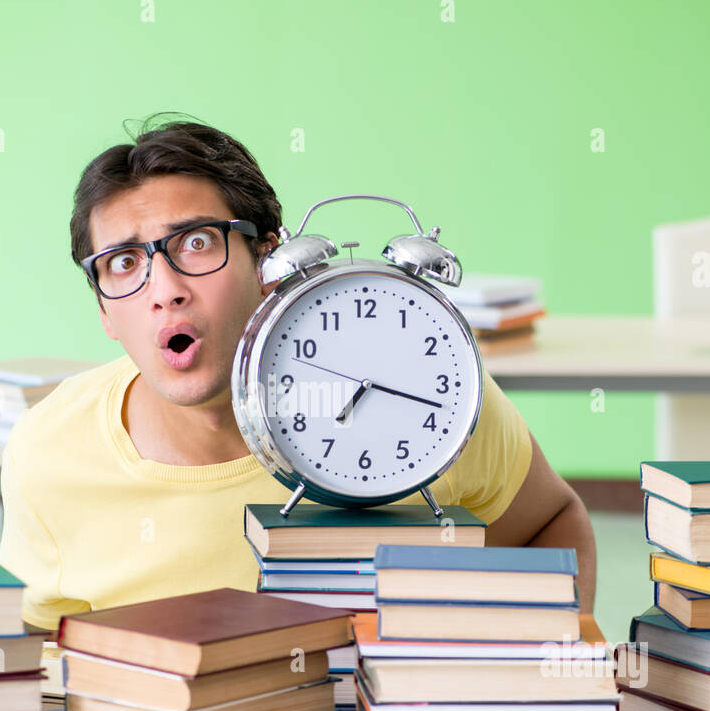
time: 7:17
